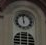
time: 11:59
